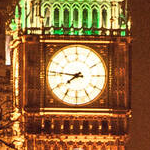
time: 7:46
